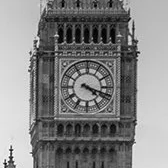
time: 4:18
